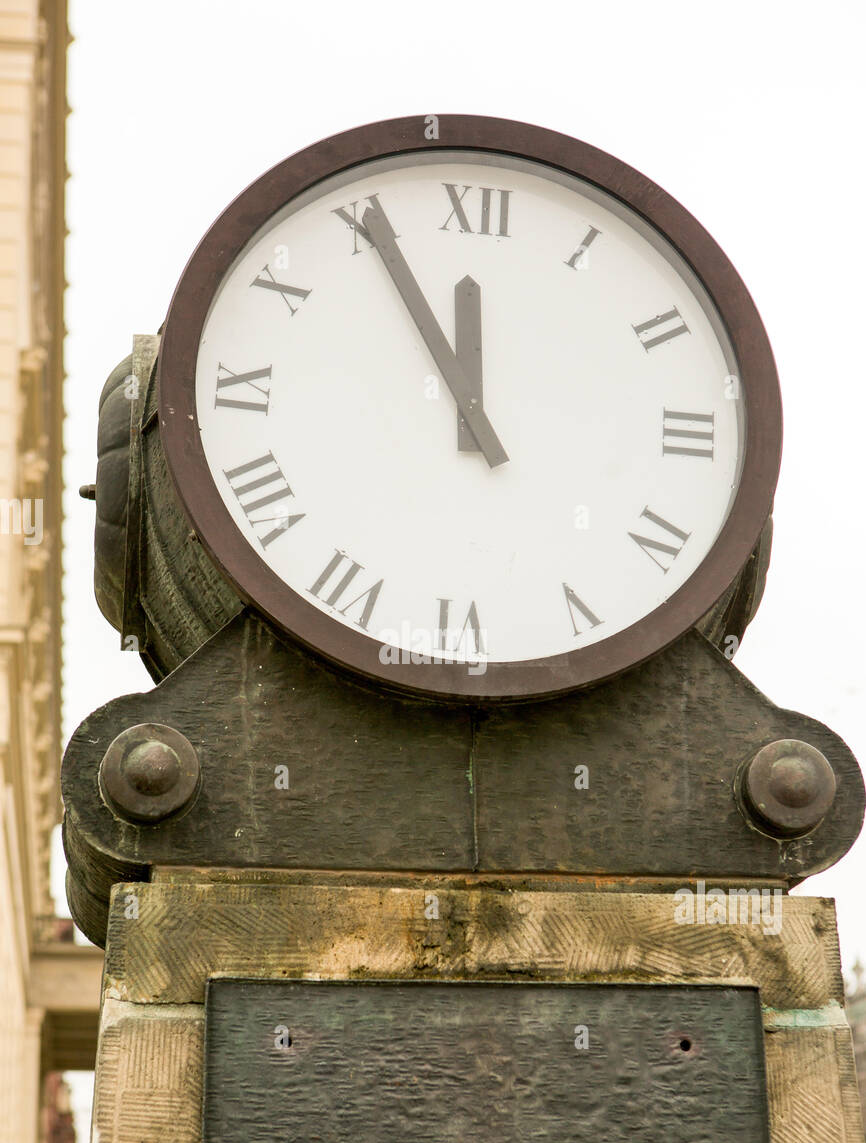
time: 11:55
